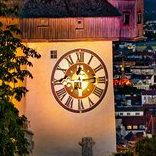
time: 12:13
